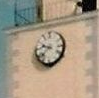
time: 9:38
